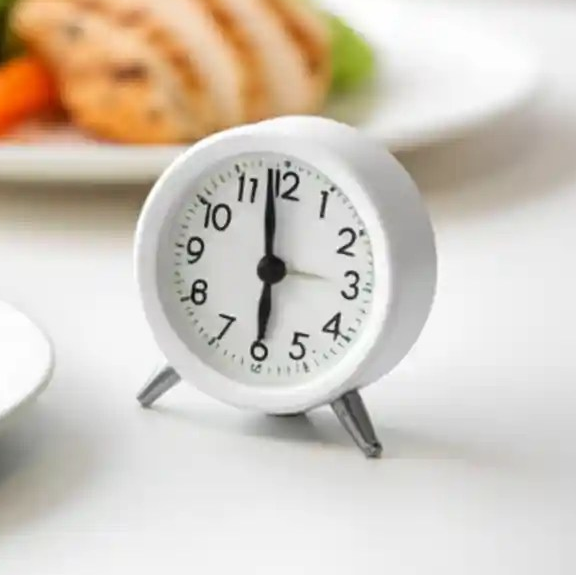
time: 5:58
